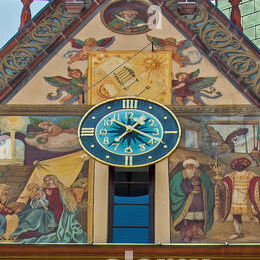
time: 1:18
